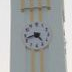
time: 4:42
